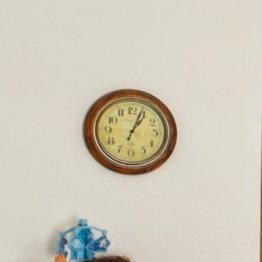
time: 1:03
